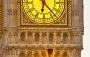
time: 6:23
